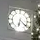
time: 6:21
